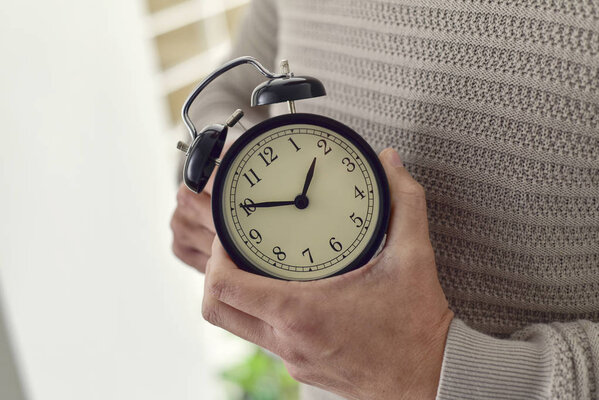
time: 12:45
